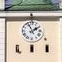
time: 1:56
